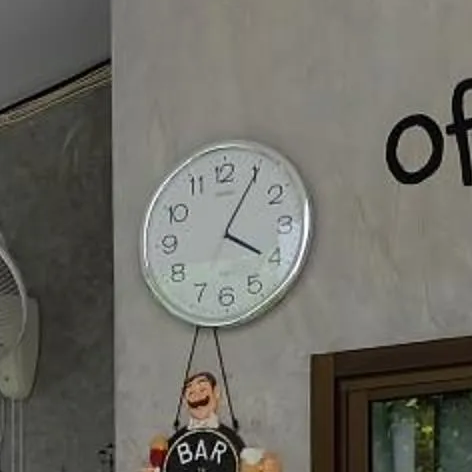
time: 4:05
